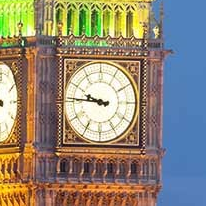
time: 9:45
